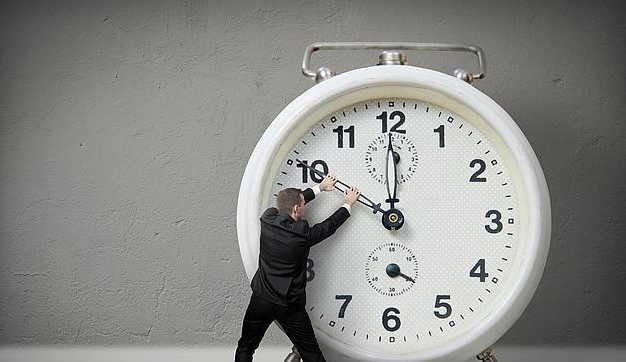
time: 11:59
